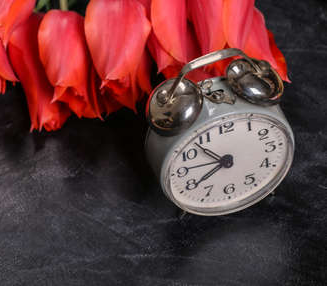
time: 7:53
